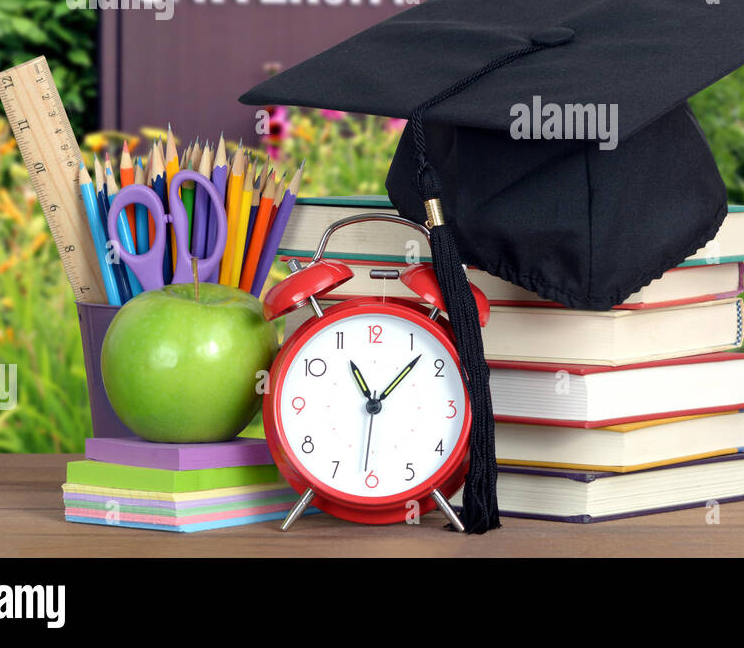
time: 11:07
